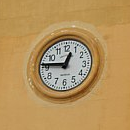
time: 12:46
